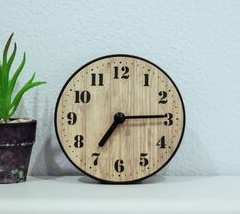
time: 7:14
